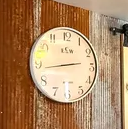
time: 2:43
